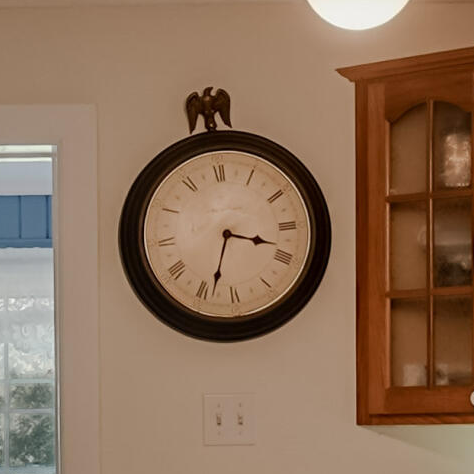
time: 3:33
